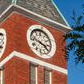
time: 3:47
